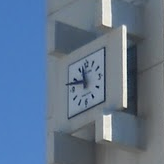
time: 11:47
